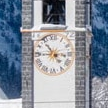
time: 10:45
